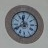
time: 11:40
